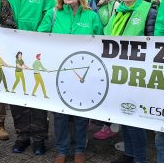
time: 12:52
